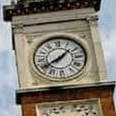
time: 1:39
